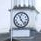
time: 11:23
